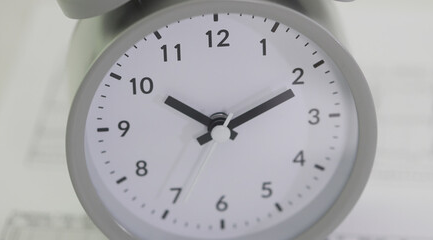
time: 10:11
